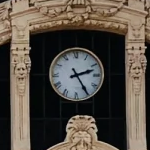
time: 2:25
